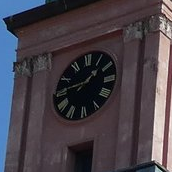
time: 1:45
